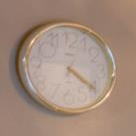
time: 4:20
